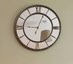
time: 9:04
